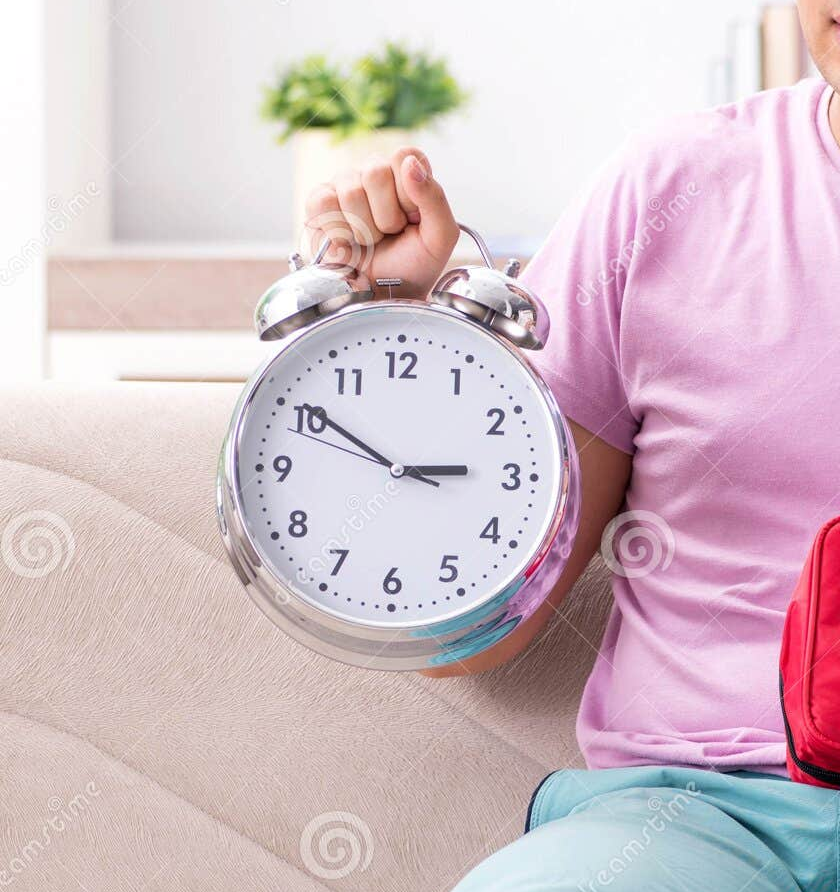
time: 2:50
